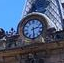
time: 2:29
